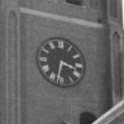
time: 3:32
